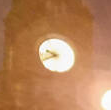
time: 9:41
